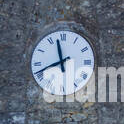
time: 11:41
